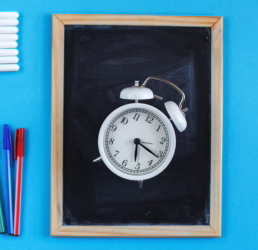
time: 6:21
